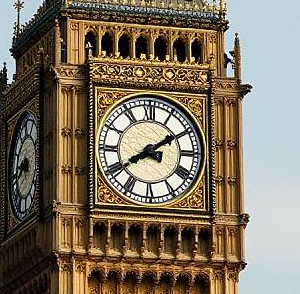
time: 8:09
